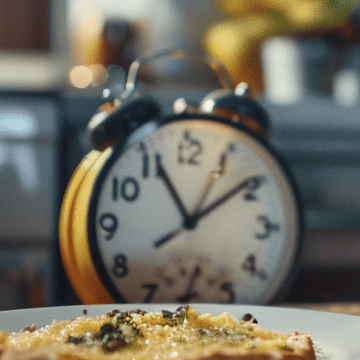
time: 11:09
